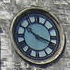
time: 10:18
